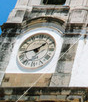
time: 1:42
